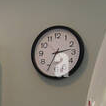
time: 2:34
